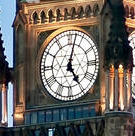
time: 5:02
